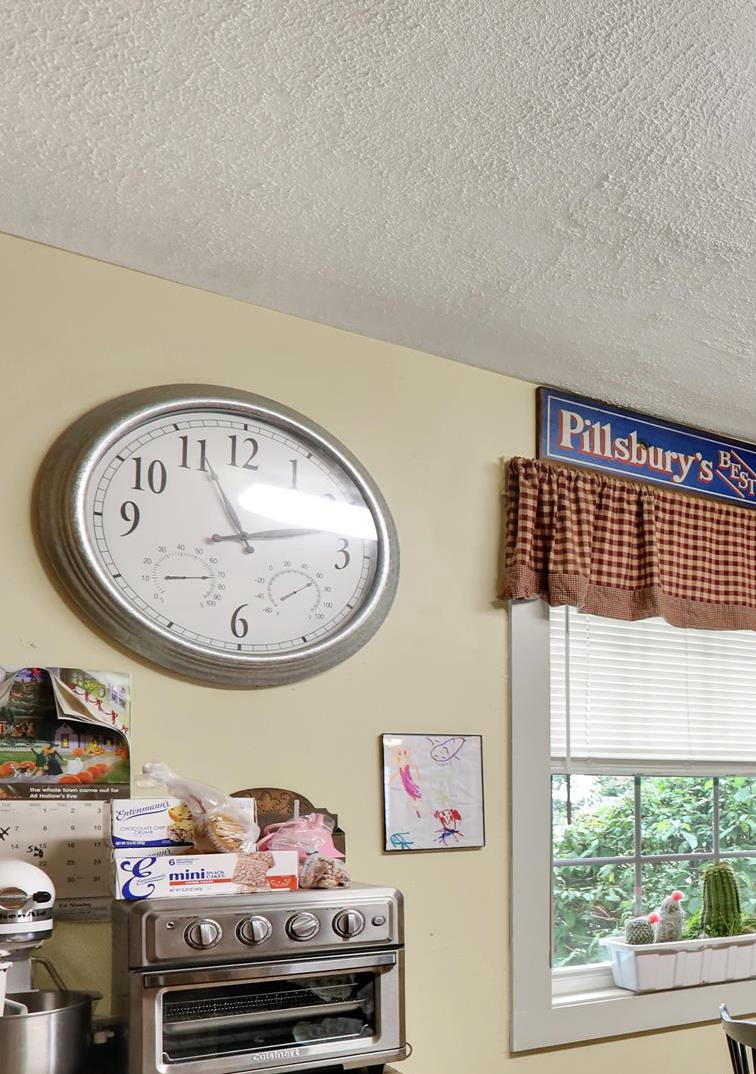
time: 11:12
